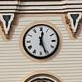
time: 12:26
